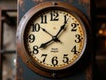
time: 8:06
